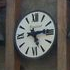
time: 5:14
